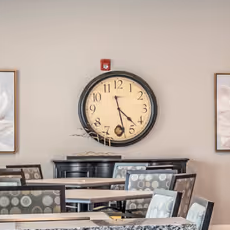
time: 4:28
